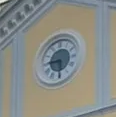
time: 5:45
